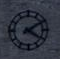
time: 4:09
